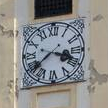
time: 3:38
